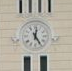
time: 12:24
